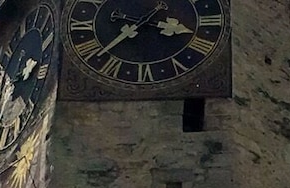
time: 3:38
